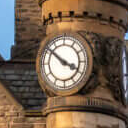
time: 3:51
